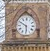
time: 5:49
